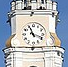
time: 11:18
